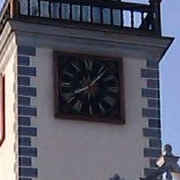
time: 8:06
